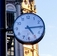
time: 5:14
